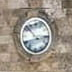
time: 2:52
